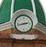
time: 2:42
